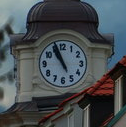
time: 10:56
